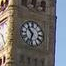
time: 10:33
